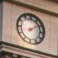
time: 8:08
